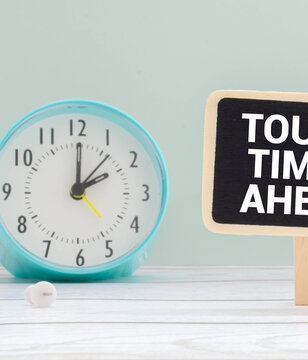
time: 2:00
